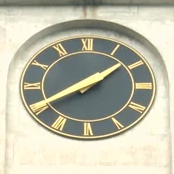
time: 1:40
